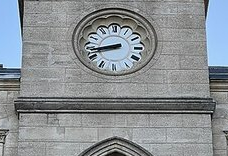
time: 8:42
